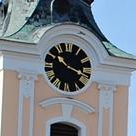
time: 10:17
